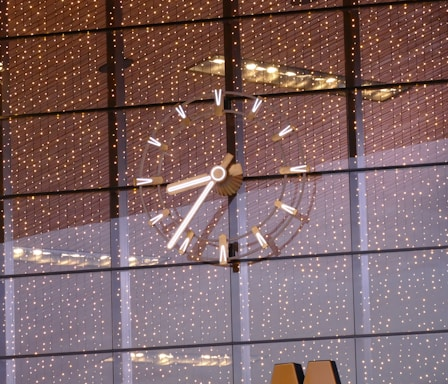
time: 7:15
